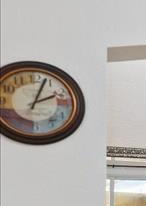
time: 2:03
